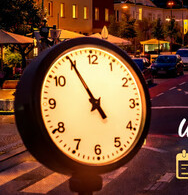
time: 4:54
